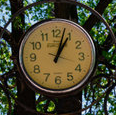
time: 1:03
